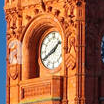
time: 1:40
